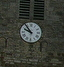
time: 9:53
